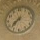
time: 7:37
